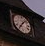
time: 7:07
